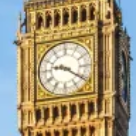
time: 9:20
